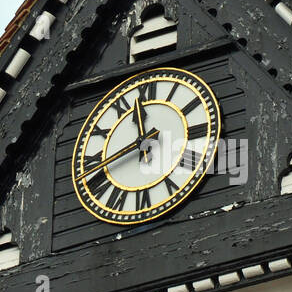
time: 11:41
